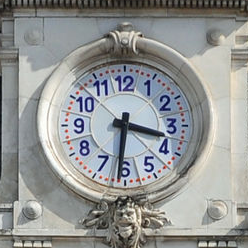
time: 3:31
